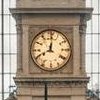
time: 8:01
